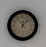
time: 12:07
